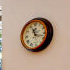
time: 11:17
